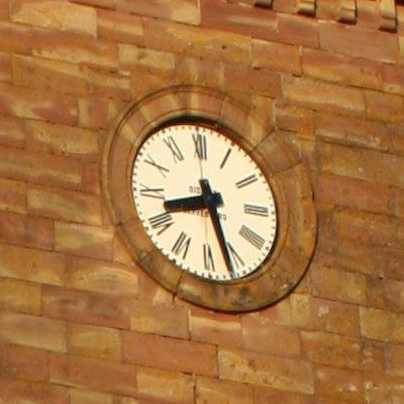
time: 8:27
